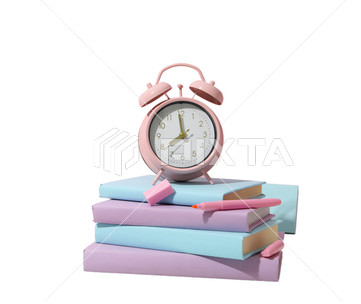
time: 7:59
